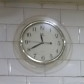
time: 11:40
